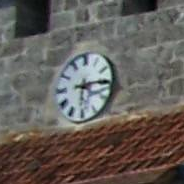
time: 6:15
